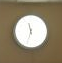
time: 11:33
